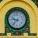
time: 9:37
